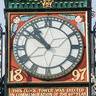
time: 10:51
